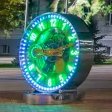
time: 9:12
